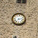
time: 7:12
